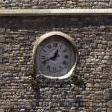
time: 12:41
